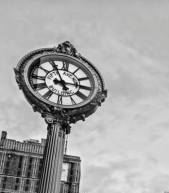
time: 2:55
